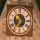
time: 10:36
